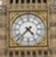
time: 4:37
